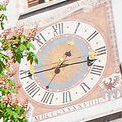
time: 1:16
